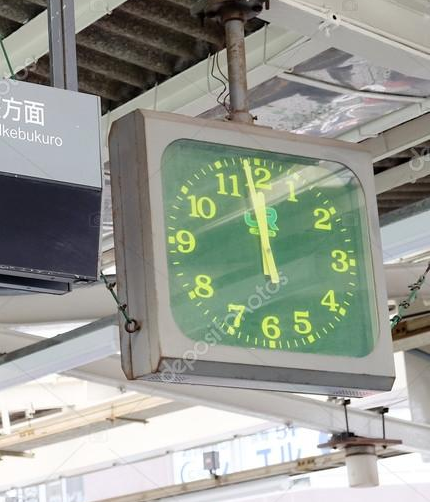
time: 11:58
